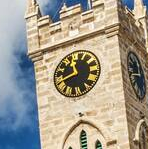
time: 11:41
